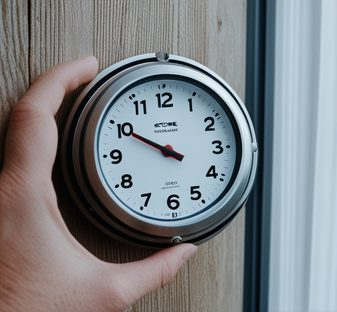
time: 9:49
